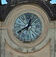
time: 12:40
